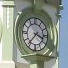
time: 3:36
